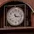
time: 11:16
